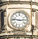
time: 2:46
